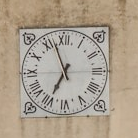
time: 6:56
